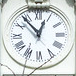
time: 12:53
